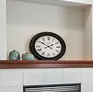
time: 1:50
